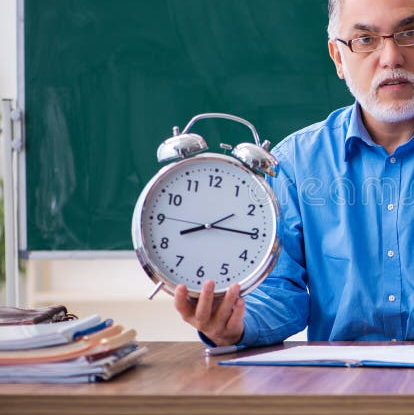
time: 8:15
